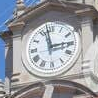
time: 2:58
